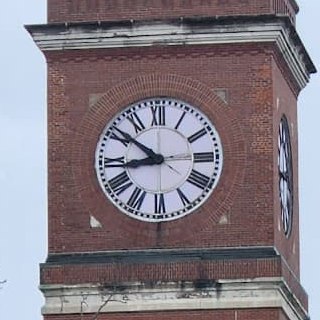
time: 8:51
